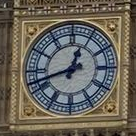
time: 12:42
